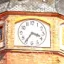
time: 3:35
